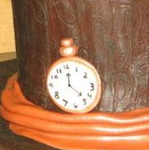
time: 12:22
